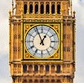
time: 12:56
